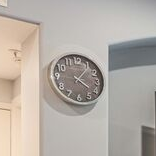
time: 4:06
